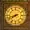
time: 7:42
